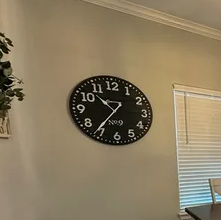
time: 10:36
